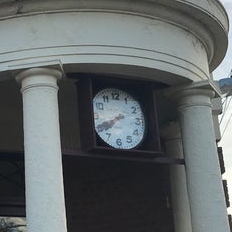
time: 7:40
